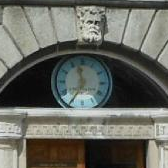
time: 11:35
